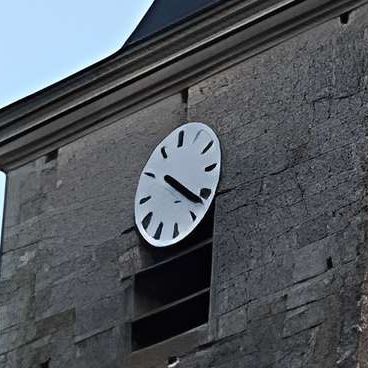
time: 4:21
